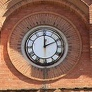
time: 12:11
